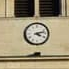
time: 4:12
